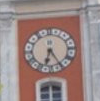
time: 6:23
